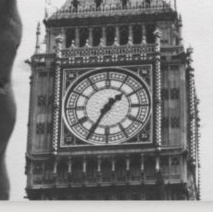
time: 1:35
